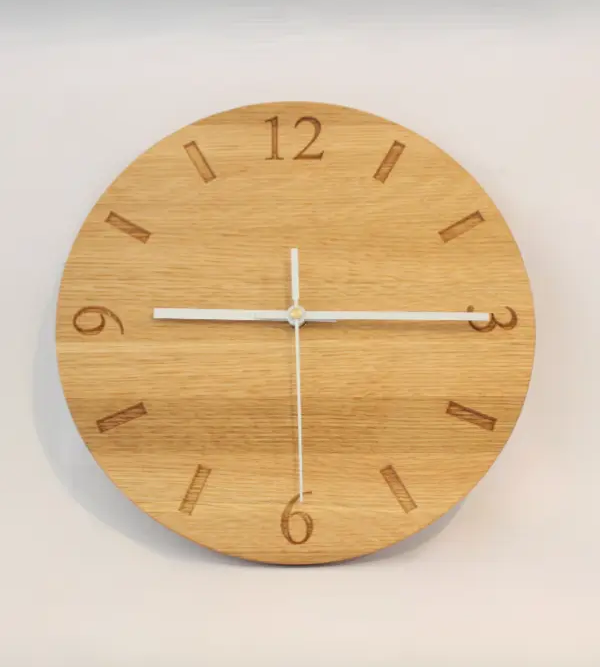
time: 9:15
